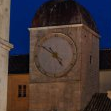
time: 4:50
